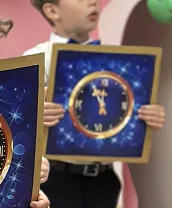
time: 11:55
